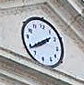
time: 1:38
